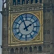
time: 1:56
